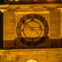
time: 2:52
